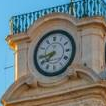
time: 7:43
